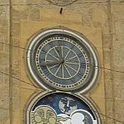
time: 11:41
